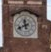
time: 11:40
